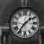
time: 1:36
